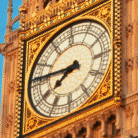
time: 7:46
